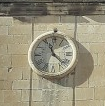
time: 11:22
